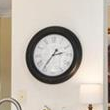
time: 2:36
